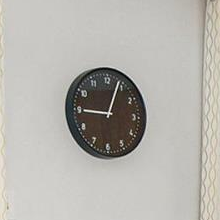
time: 9:03
